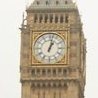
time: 1:02
